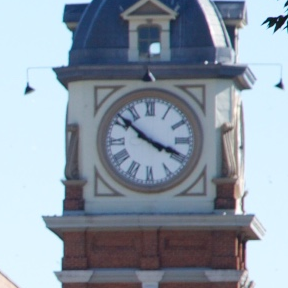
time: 3:51
